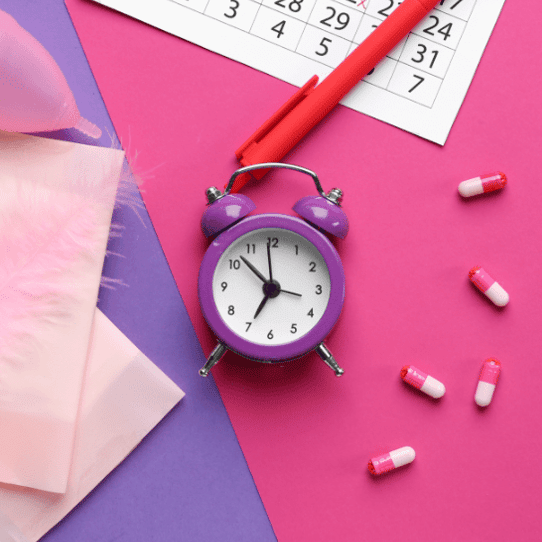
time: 6:52
